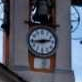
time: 2:43
